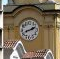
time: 1:41
